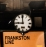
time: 8:59
